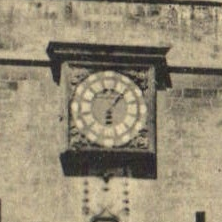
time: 6:06
